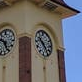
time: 10:24
